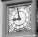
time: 8:58
